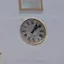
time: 1:08
